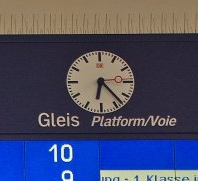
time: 6:23
